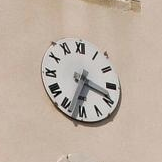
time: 3:33
